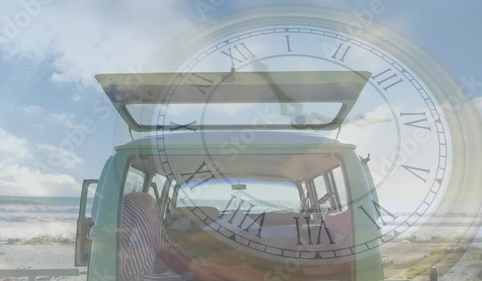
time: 12:45
